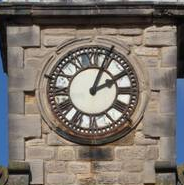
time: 2:03
